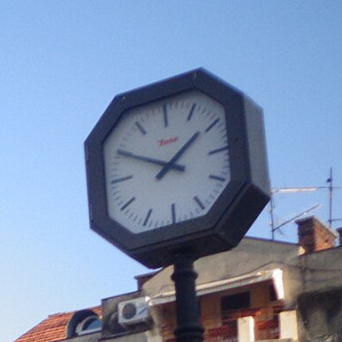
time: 1:49
